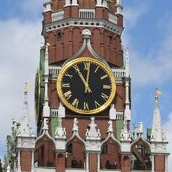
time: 11:01
